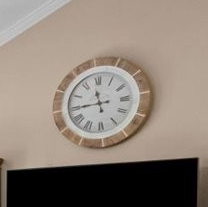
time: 11:44
